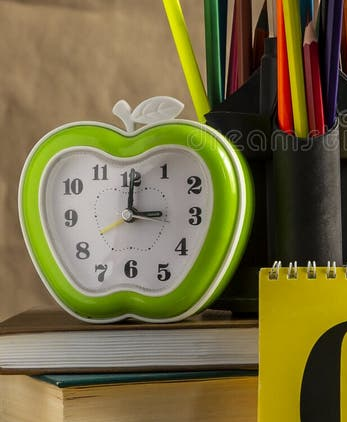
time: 3:00
